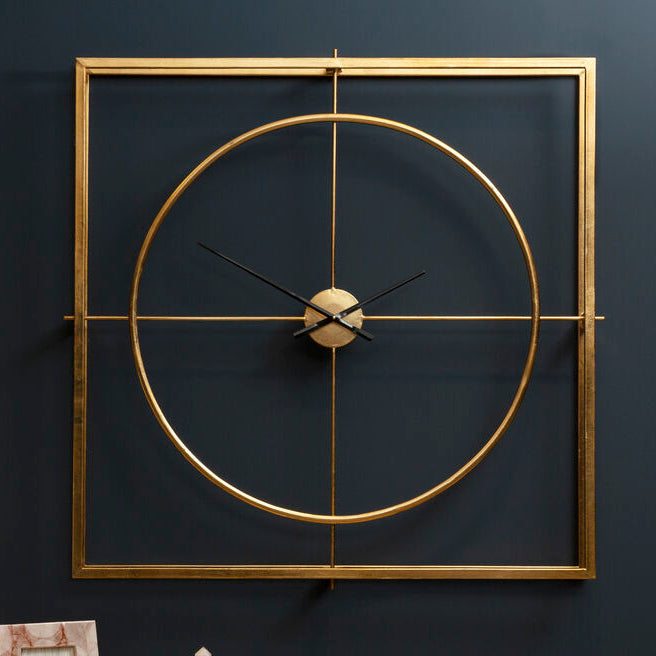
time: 7:49
